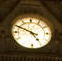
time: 4:49
